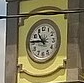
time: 10:45
